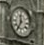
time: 11:35
